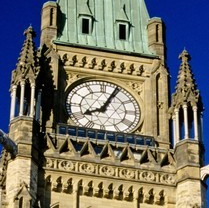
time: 8:04
